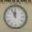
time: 11:55
